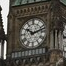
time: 10:12
